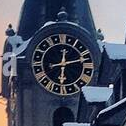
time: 12:12
